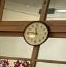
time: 11:46
